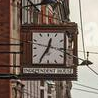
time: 12:35
